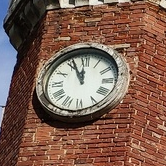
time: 11:55
